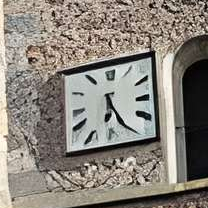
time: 6:25
